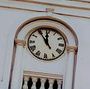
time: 11:54
